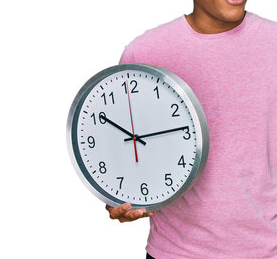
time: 10:13
